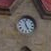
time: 4:57
